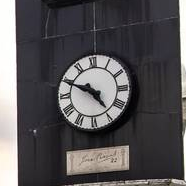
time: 4:49
